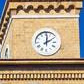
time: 2:01
